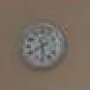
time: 5:40
